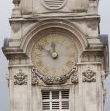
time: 11:50
